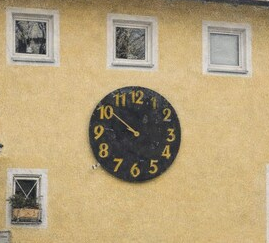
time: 9:51
